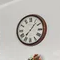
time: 7:06
